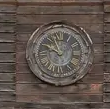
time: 9:57
